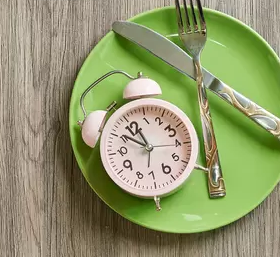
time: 10:50
